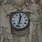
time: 12:32
